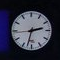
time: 2:32
